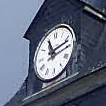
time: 11:12
